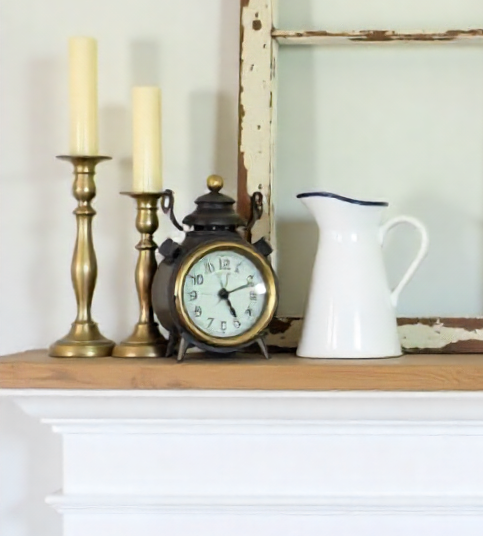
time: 5:11
